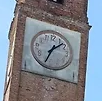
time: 1:33
